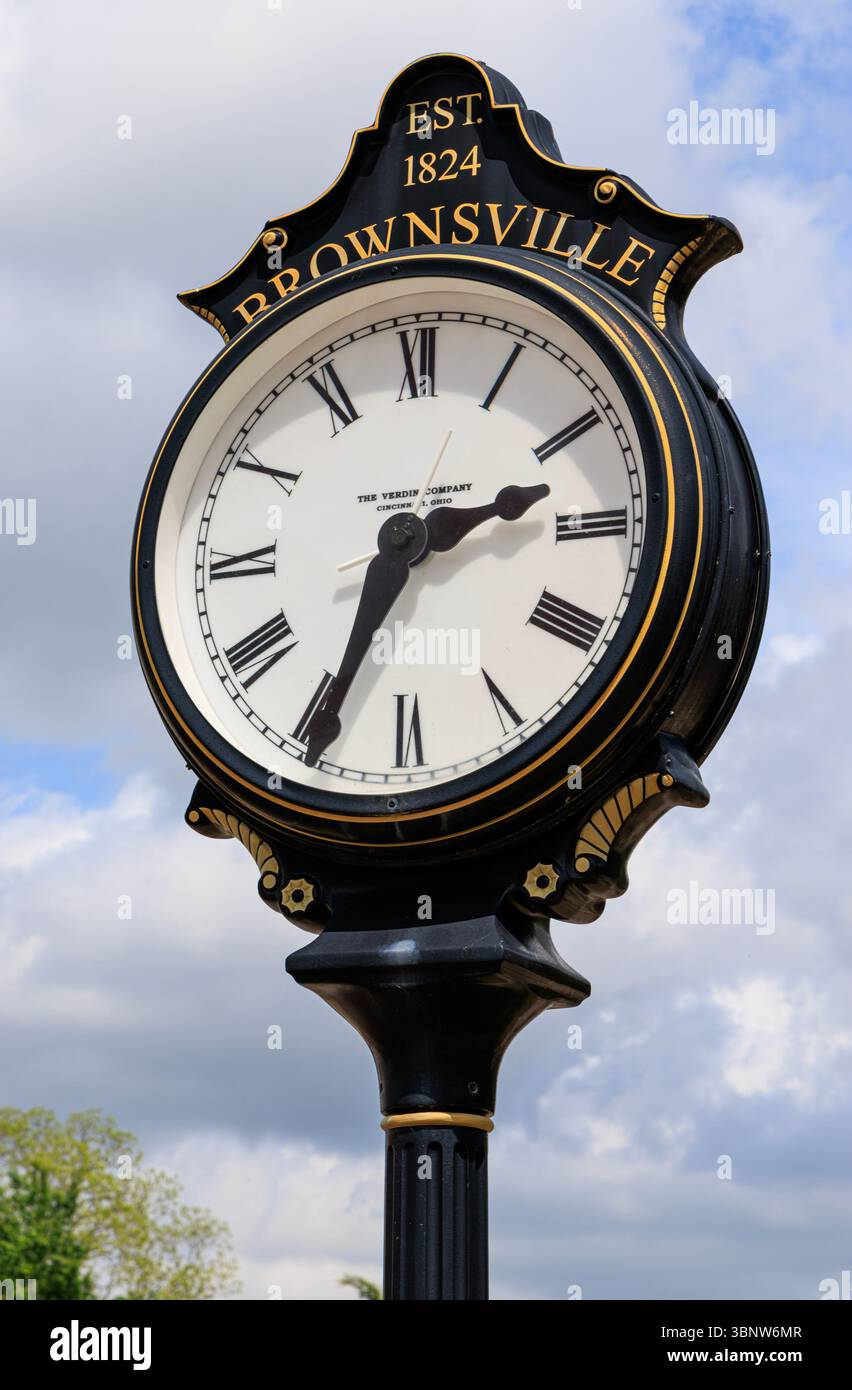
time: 2:34
